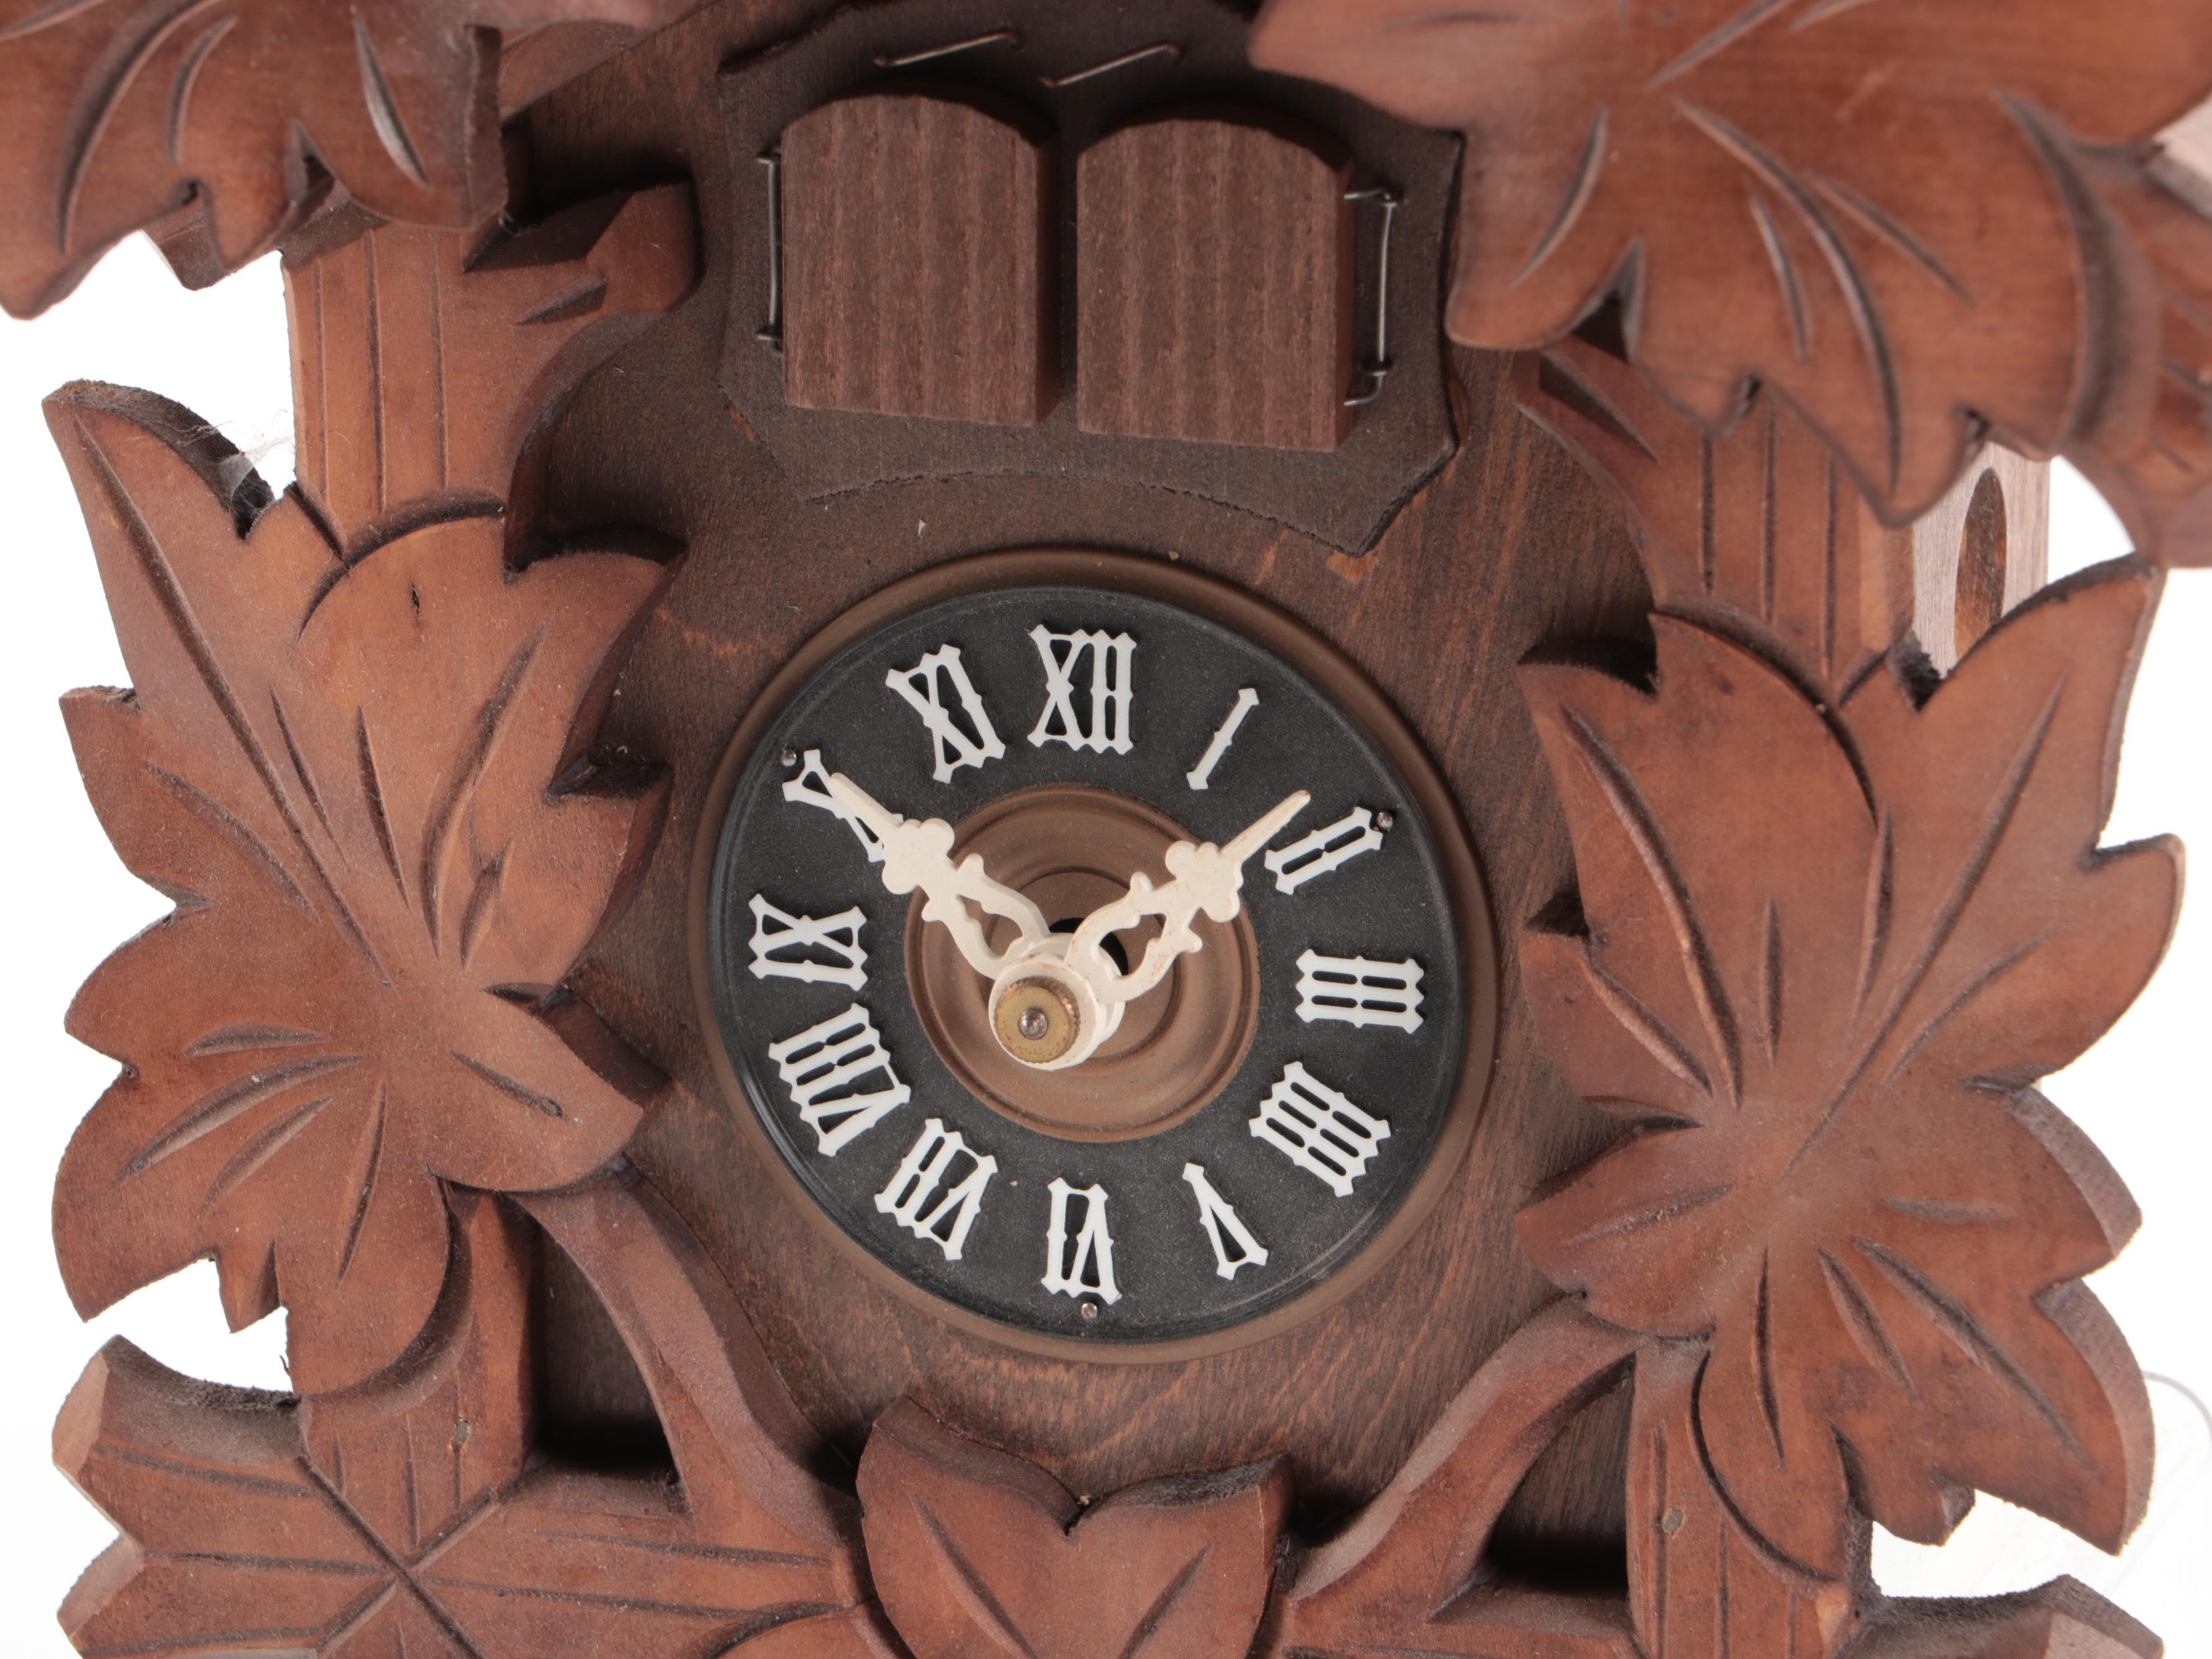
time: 1:50
